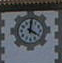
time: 4:01
